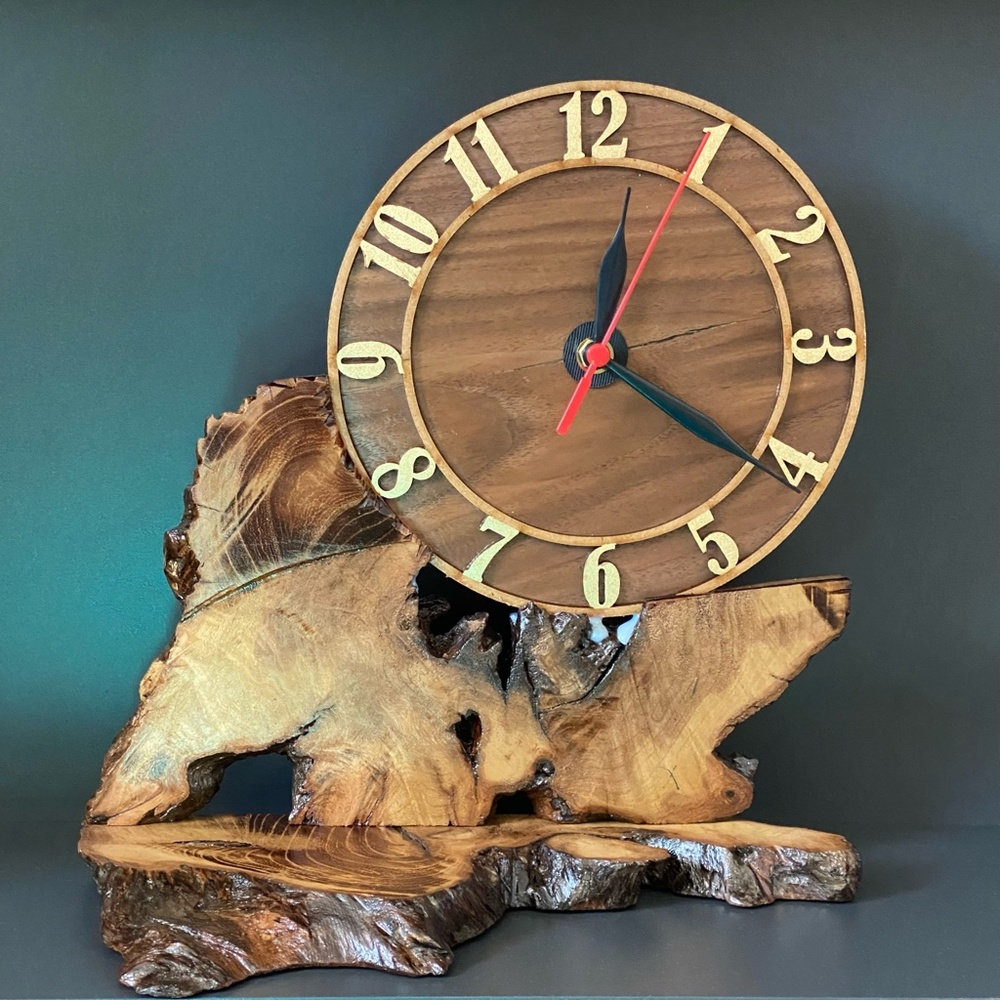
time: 12:20
